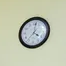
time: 4:01
